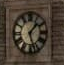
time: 1:26
